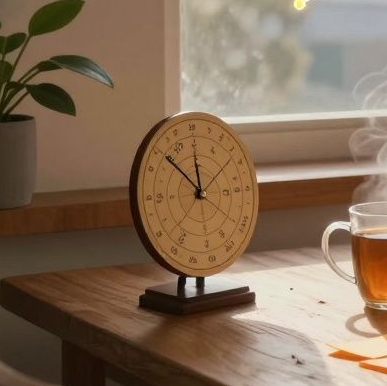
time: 11:52
